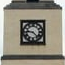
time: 9:22
